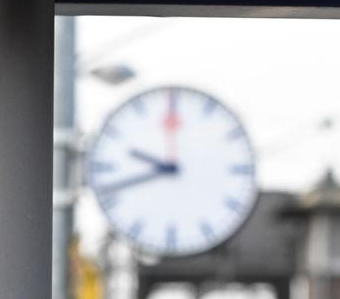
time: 9:41
